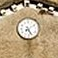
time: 5:09
